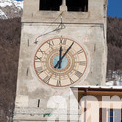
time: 12:05
